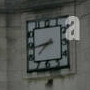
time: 7:43
